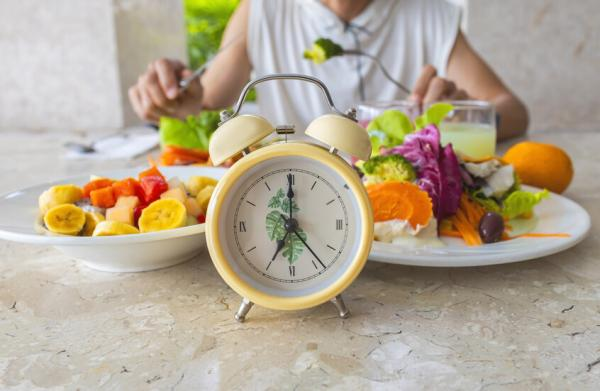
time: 7:00
